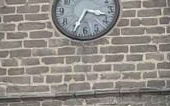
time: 3:34
